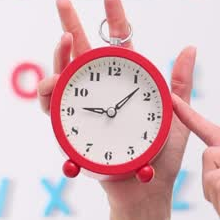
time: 9:07
